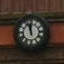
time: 11:57
